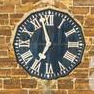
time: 6:57
